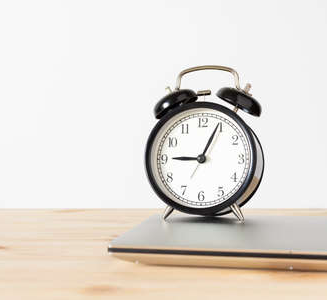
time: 9:04
